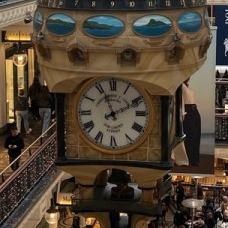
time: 11:10
